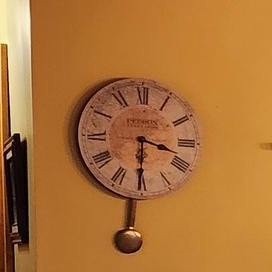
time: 3:30
